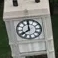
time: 7:59
